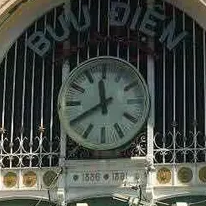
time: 11:40
